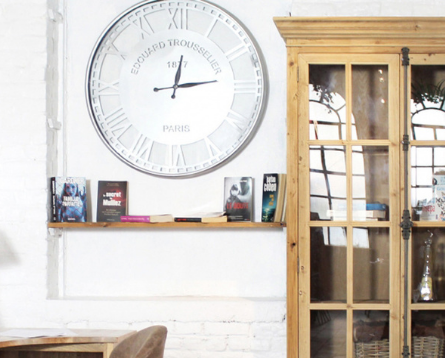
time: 12:13
